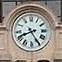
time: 8:24
